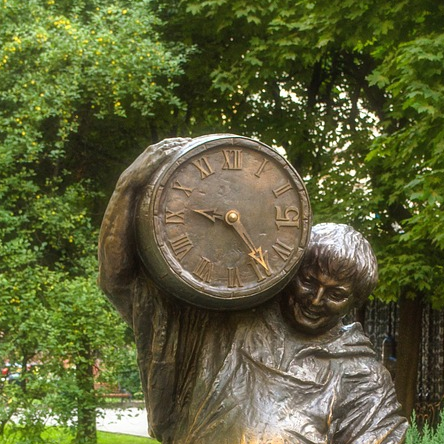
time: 9:23
